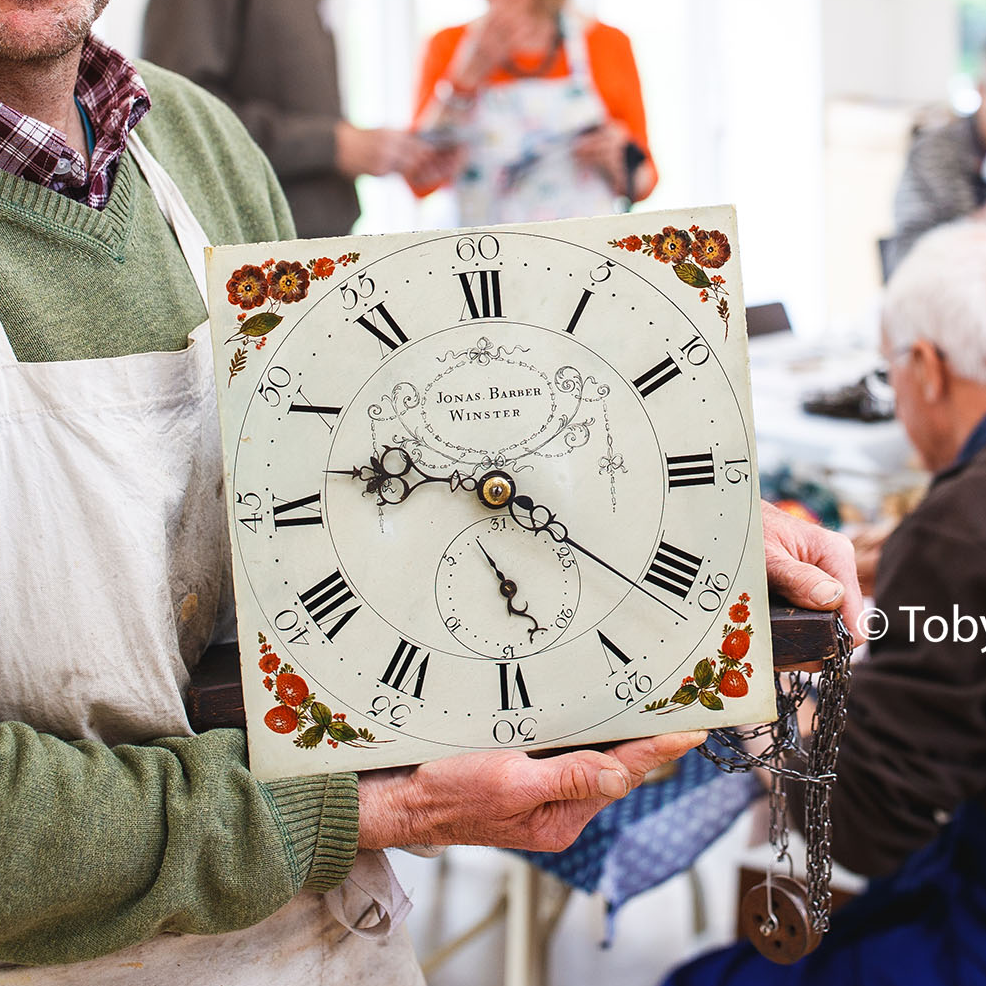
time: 9:21
